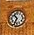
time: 10:34
